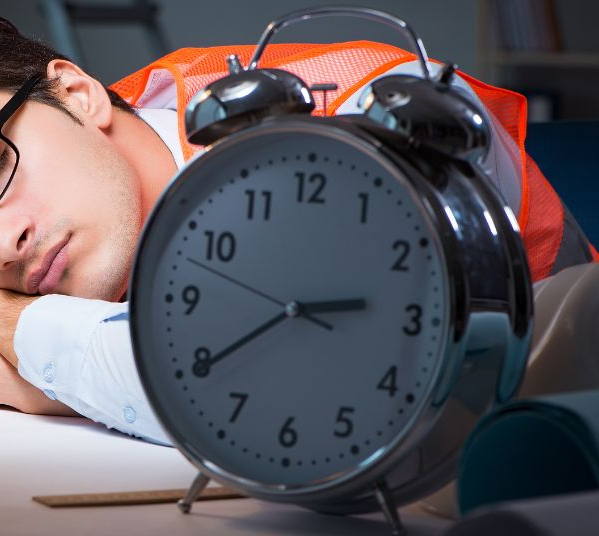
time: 2:39
